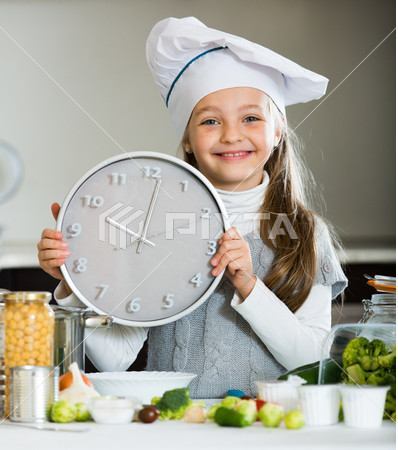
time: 10:01
